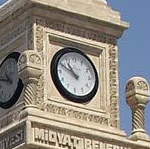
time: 10:49
